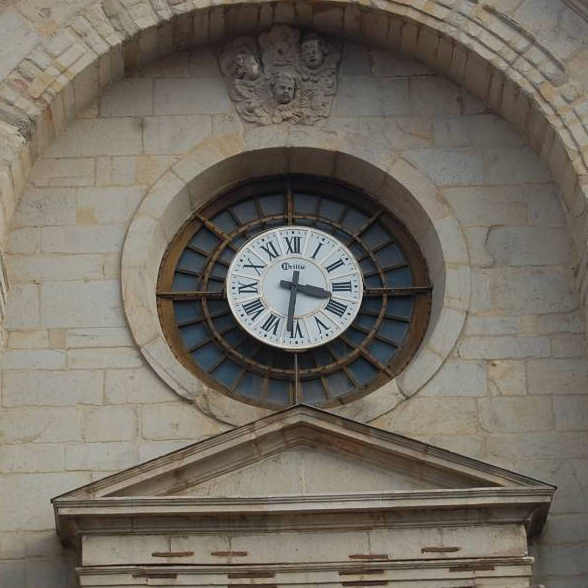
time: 3:30
